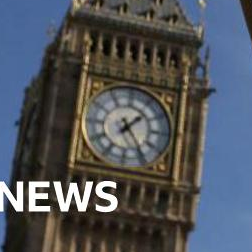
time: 1:24
